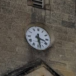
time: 3:28
